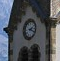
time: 2:18
